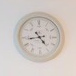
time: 4:43
